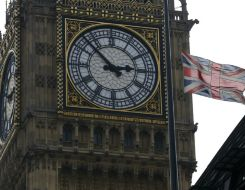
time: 2:52
